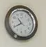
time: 10:40
